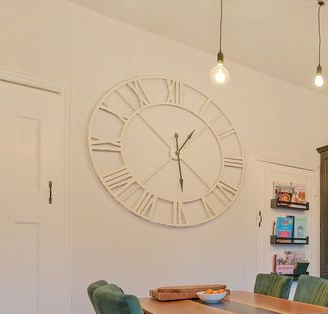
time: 1:28
